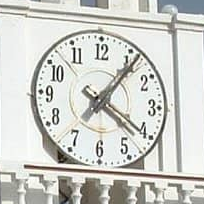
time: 4:06
